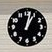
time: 1:02
